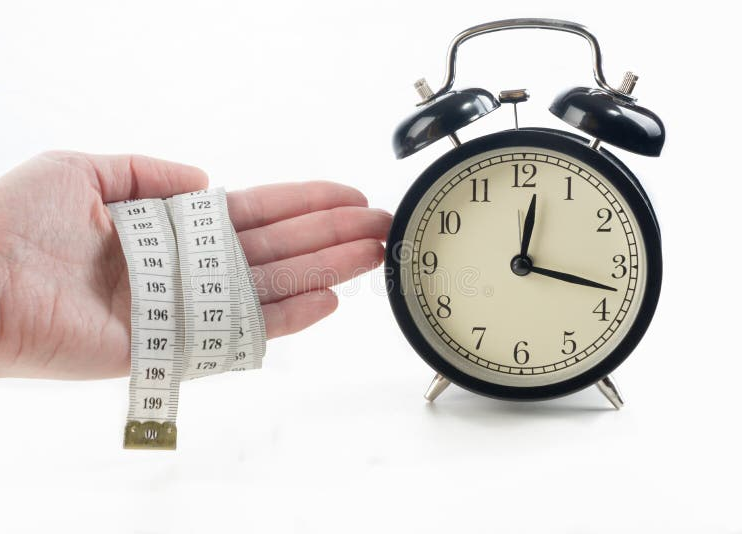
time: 12:17
